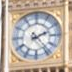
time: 2:23
